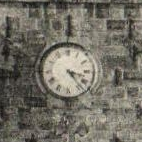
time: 3:23
